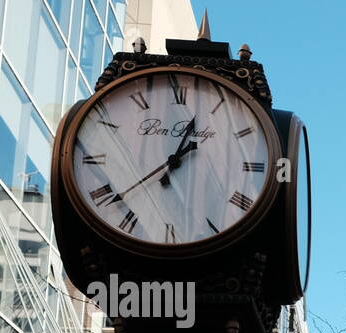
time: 1:02
